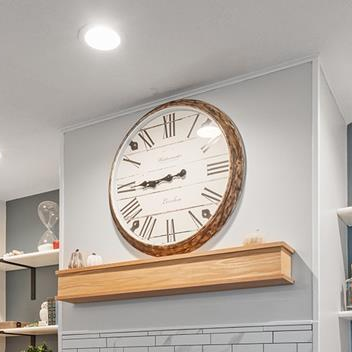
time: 8:44
